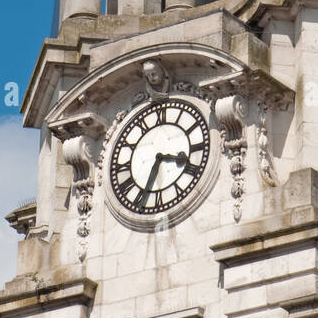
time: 3:33
